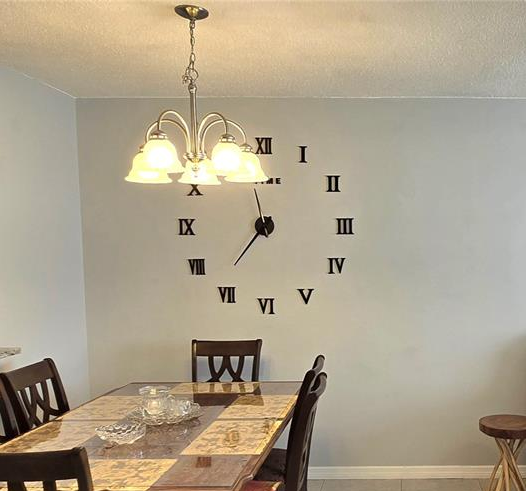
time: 11:36
